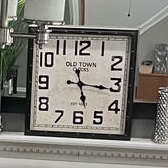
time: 5:16
